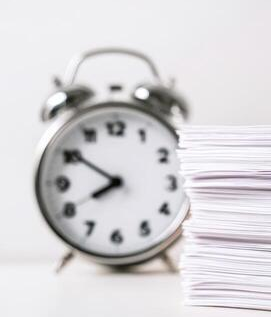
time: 7:50
